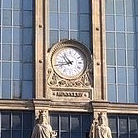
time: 10:42
